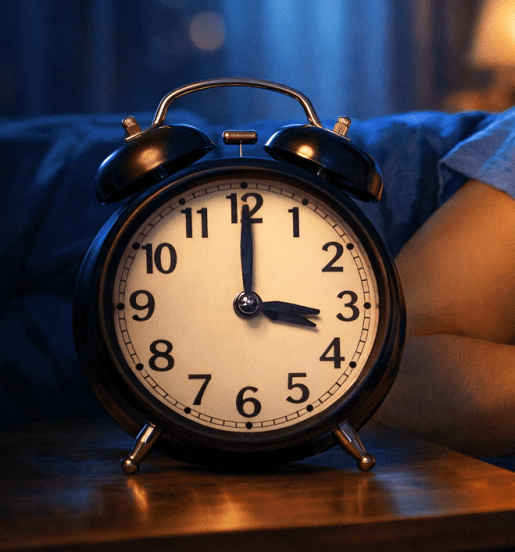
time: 3:00
